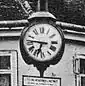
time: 6:46
